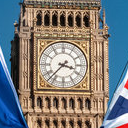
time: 3:37
